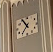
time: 10:36
